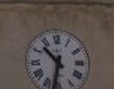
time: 10:32
